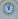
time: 11:02
